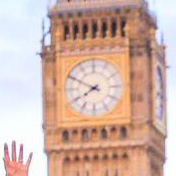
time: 7:49
